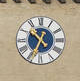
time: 10:34
